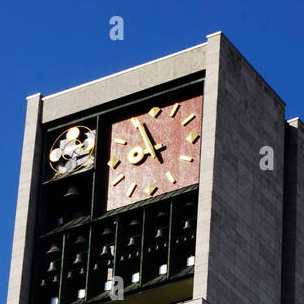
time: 8:55
